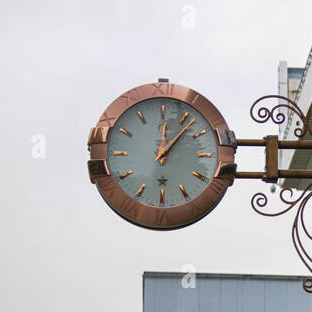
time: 12:06
